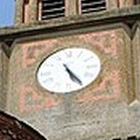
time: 5:24
